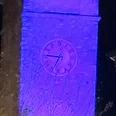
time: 6:46
